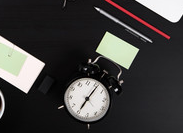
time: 7:06
